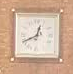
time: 12:40
